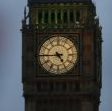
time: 4:44
